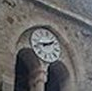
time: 1:42
